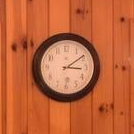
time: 3:09
